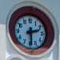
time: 2:29
